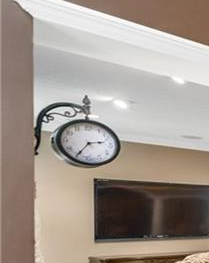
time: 2:35
